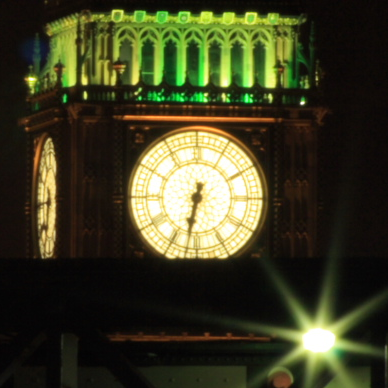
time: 6:32
